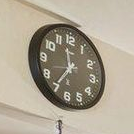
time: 11:35
